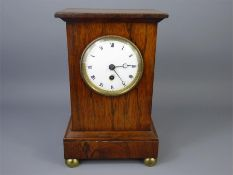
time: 5:14
